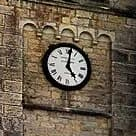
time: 5:01
